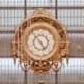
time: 4:53
